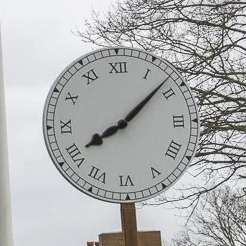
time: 8:08
